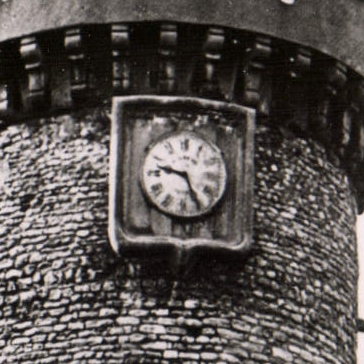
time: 9:25
